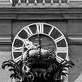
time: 11:59
